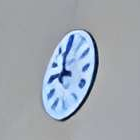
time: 11:46
